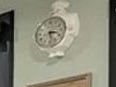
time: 3:27
